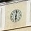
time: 6:01
